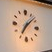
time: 7:08
